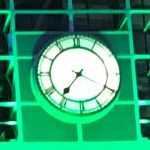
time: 7:19
